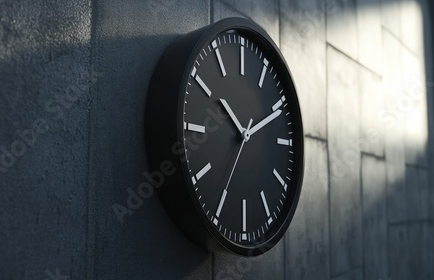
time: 10:10
